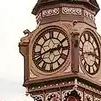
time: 2:42
